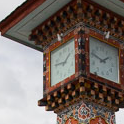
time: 1:46
